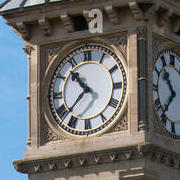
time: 10:37
